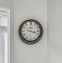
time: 3:17
